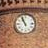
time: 10:56
